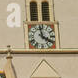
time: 3:58
